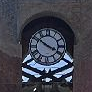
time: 3:50
